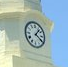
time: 1:20
